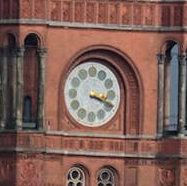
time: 3:18
